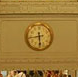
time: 5:43
